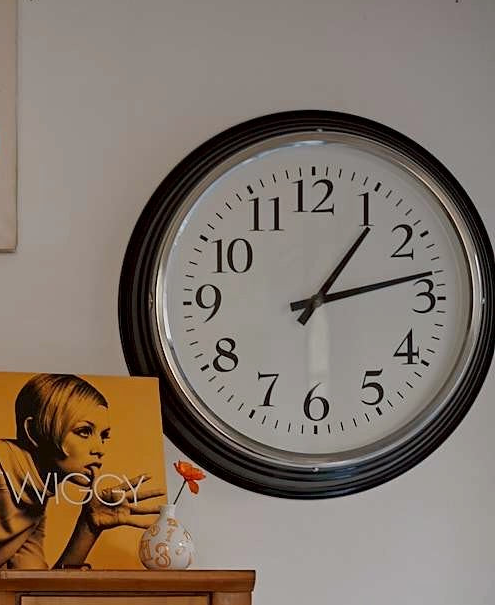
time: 1:13
